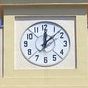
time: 12:07
